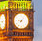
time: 9:07
